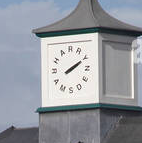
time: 2:10
